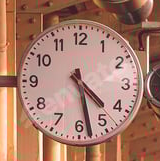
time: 4:28
